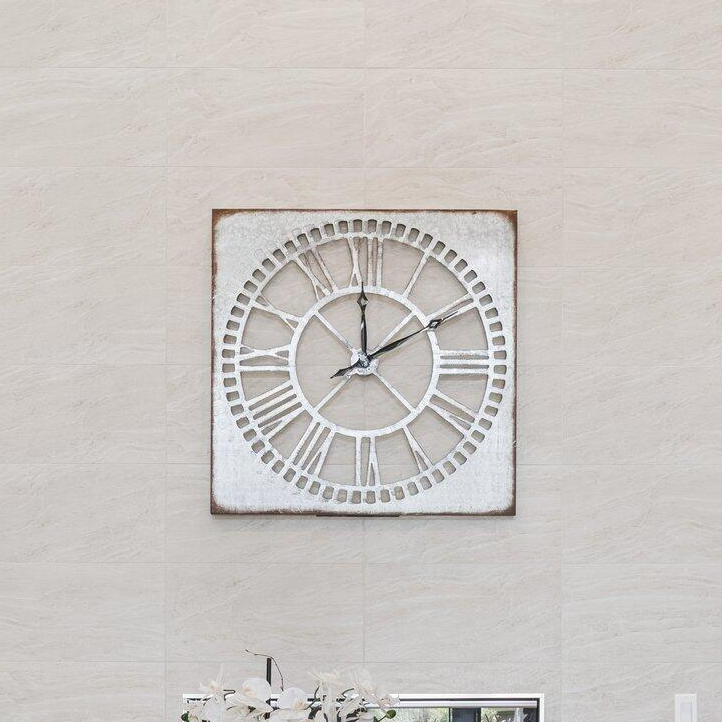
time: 1:59
